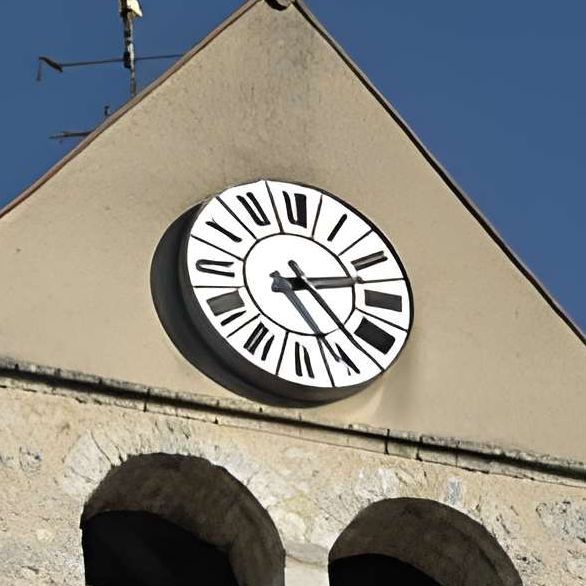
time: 2:23
